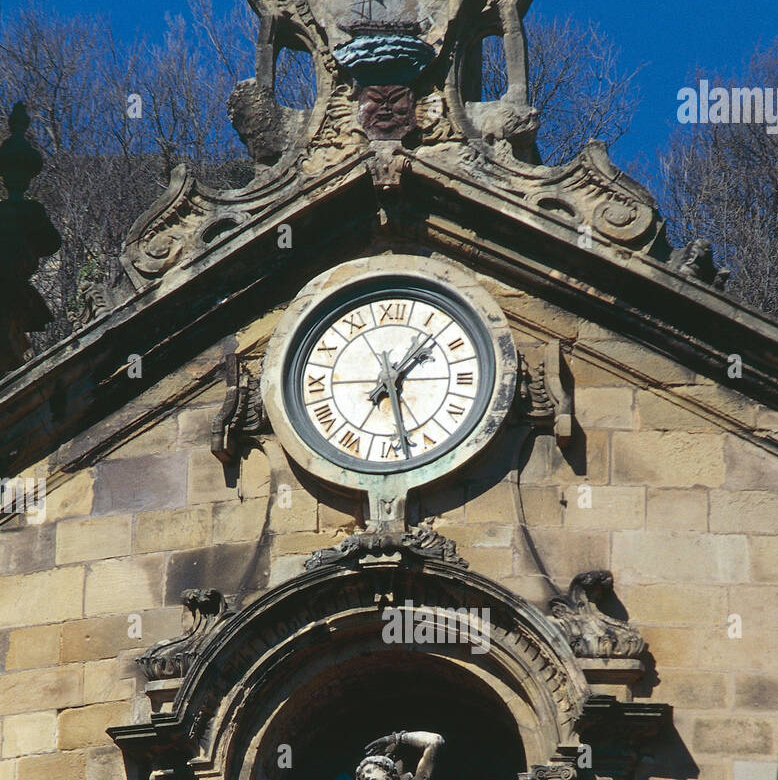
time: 1:28
